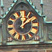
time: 12:07
